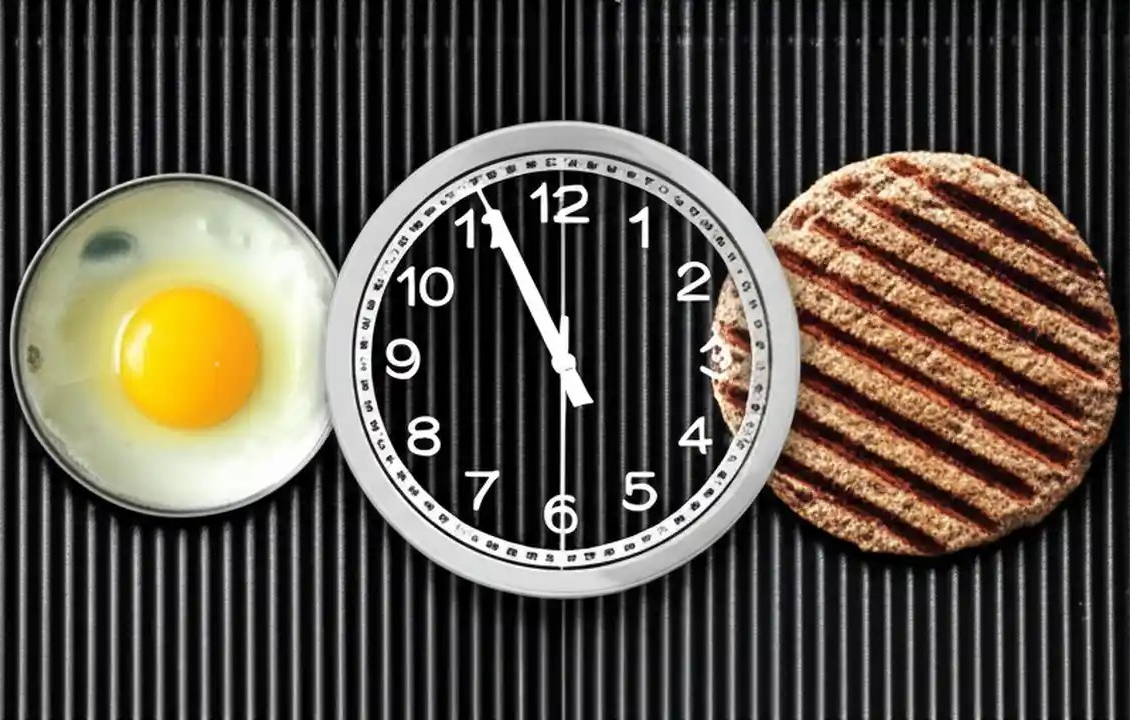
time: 5:55
